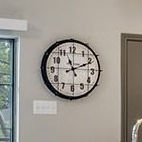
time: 11:11
